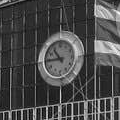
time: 10:44
